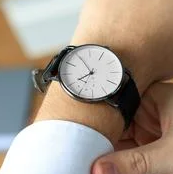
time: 7:54
